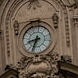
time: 8:32
